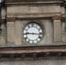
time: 9:16
